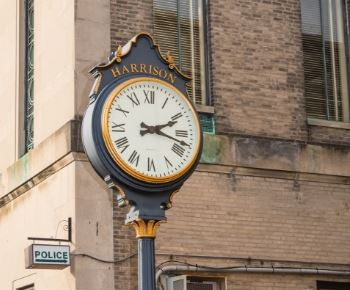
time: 2:18
